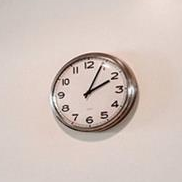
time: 2:04
